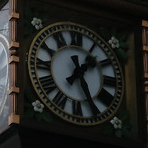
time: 1:26
